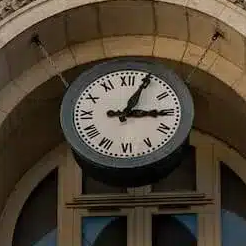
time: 3:04
